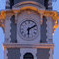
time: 6:10
